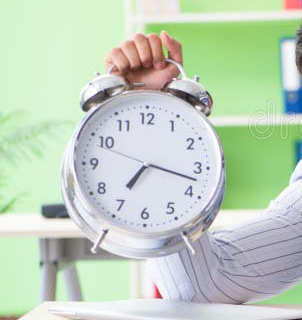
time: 7:17
